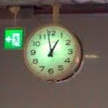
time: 12:58
